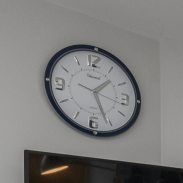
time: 1:26
